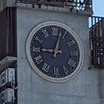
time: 9:02
